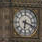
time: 6:18
